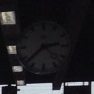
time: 2:38
